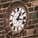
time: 1:16
